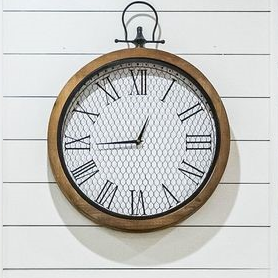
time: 12:44
